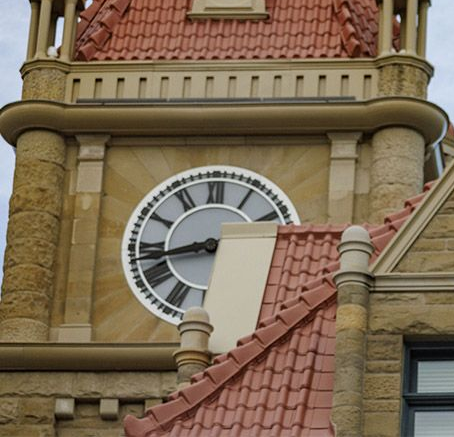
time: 8:42
